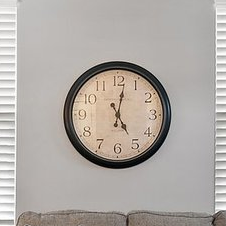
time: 5:01
